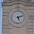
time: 5:11
